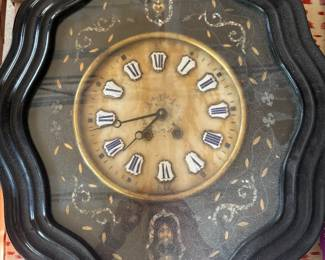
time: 7:43
